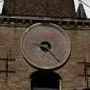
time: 9:23
